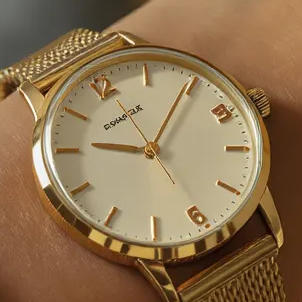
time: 9:04
